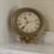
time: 7:12
